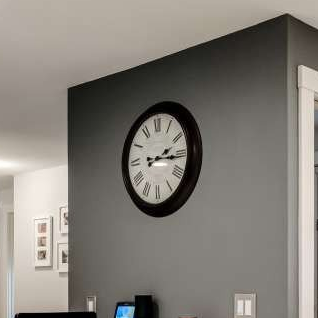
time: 2:15
